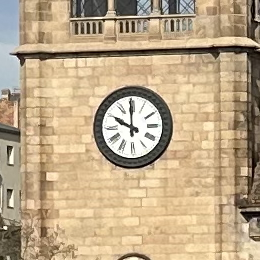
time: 9:59
